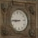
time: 8:45
